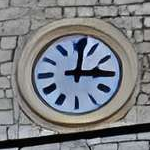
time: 3:01
